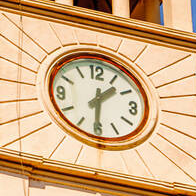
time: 1:30
